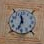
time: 11:33
